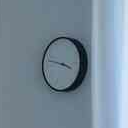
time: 3:47
